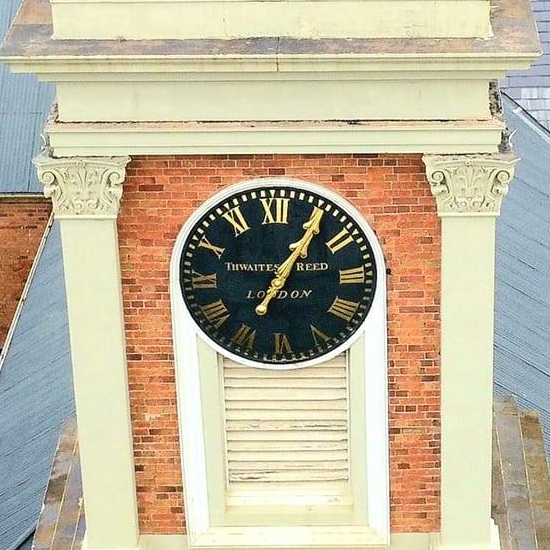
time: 7:05
